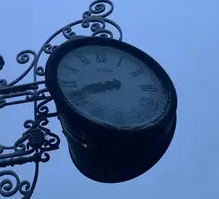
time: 8:41
